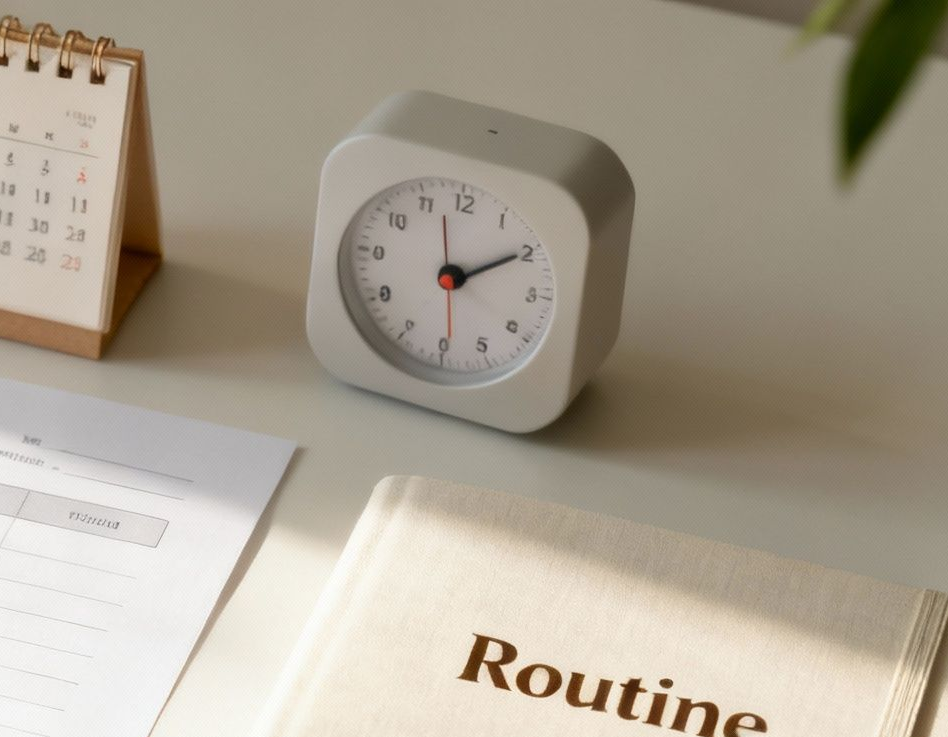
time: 2:09
